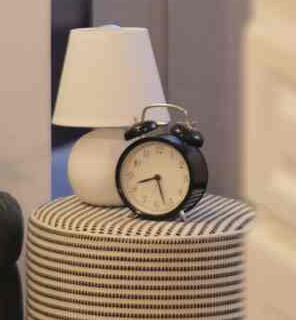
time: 8:27
